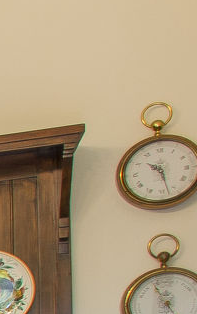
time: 10:27
